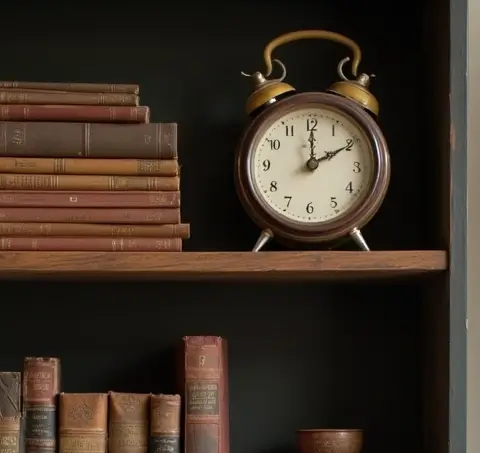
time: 12:10
